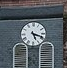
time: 5:18
